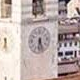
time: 6:27
